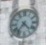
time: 4:36
